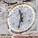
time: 11:32
